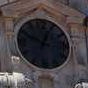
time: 12:49
